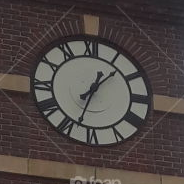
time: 1:33
